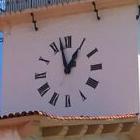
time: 12:57
